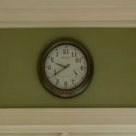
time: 9:39
